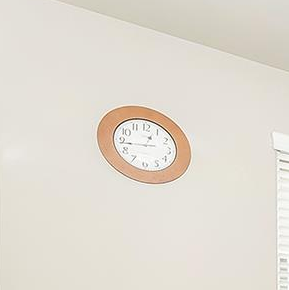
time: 12:43
